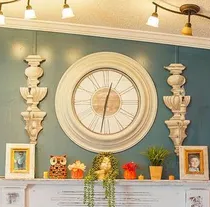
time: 12:31
